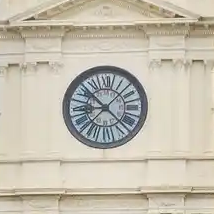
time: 8:52
